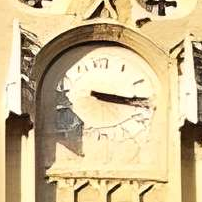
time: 3:15
